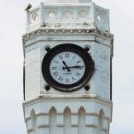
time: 11:13
